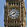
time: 1:40
